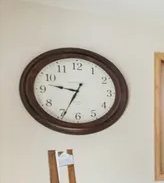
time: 9:34
